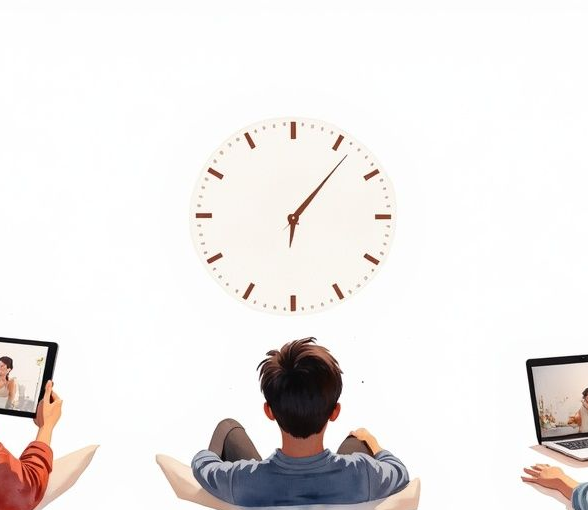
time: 6:06
